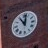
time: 11:02
